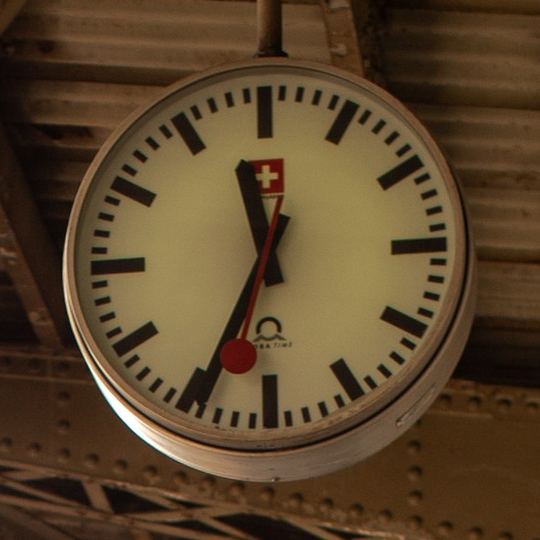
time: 11:34
